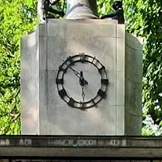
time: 11:52
